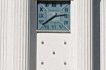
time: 2:38
